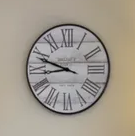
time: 8:48
